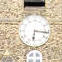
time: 6:16
